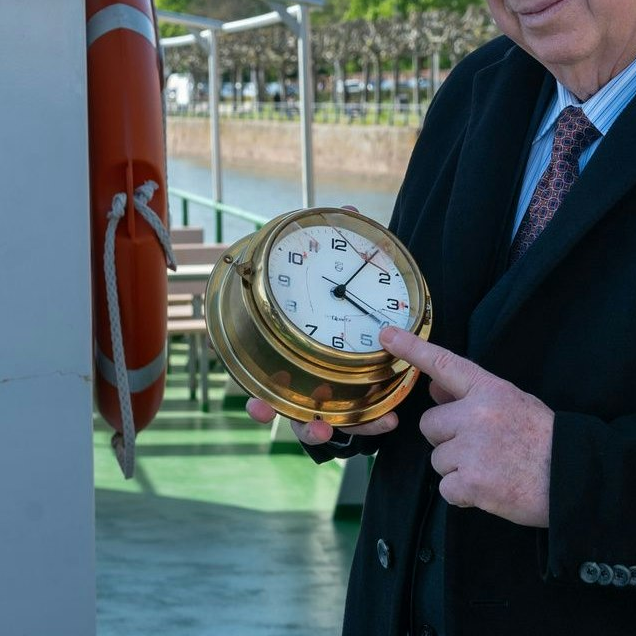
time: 4:05
